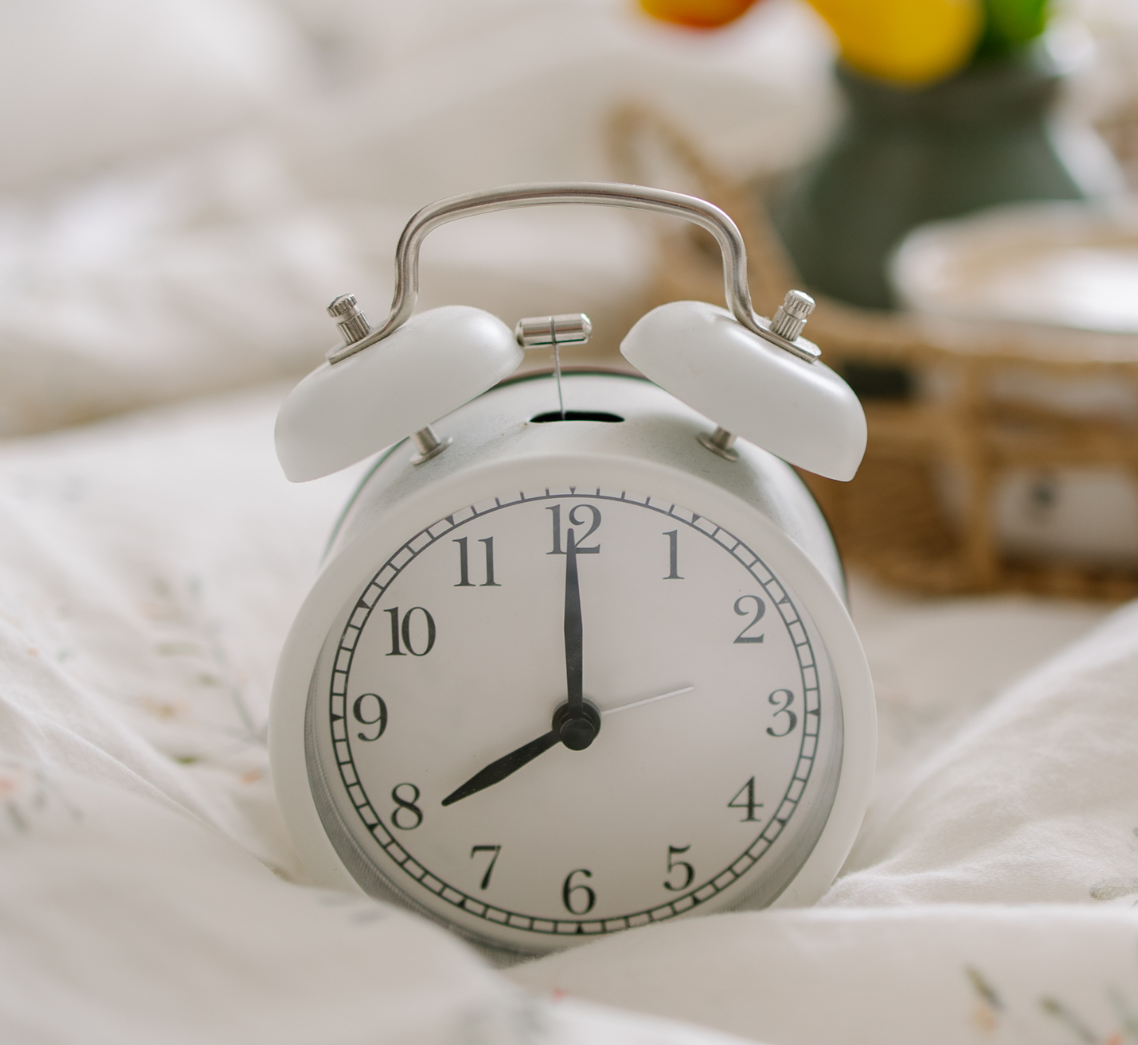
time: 8:00
